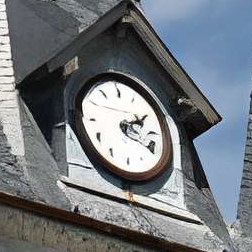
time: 2:19
